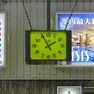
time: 1:55
